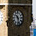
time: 10:28
